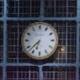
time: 6:37
